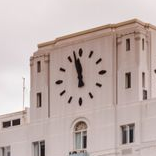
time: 11:57
